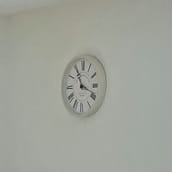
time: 11:18
